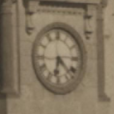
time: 6:22
